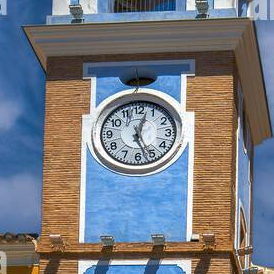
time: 12:26
